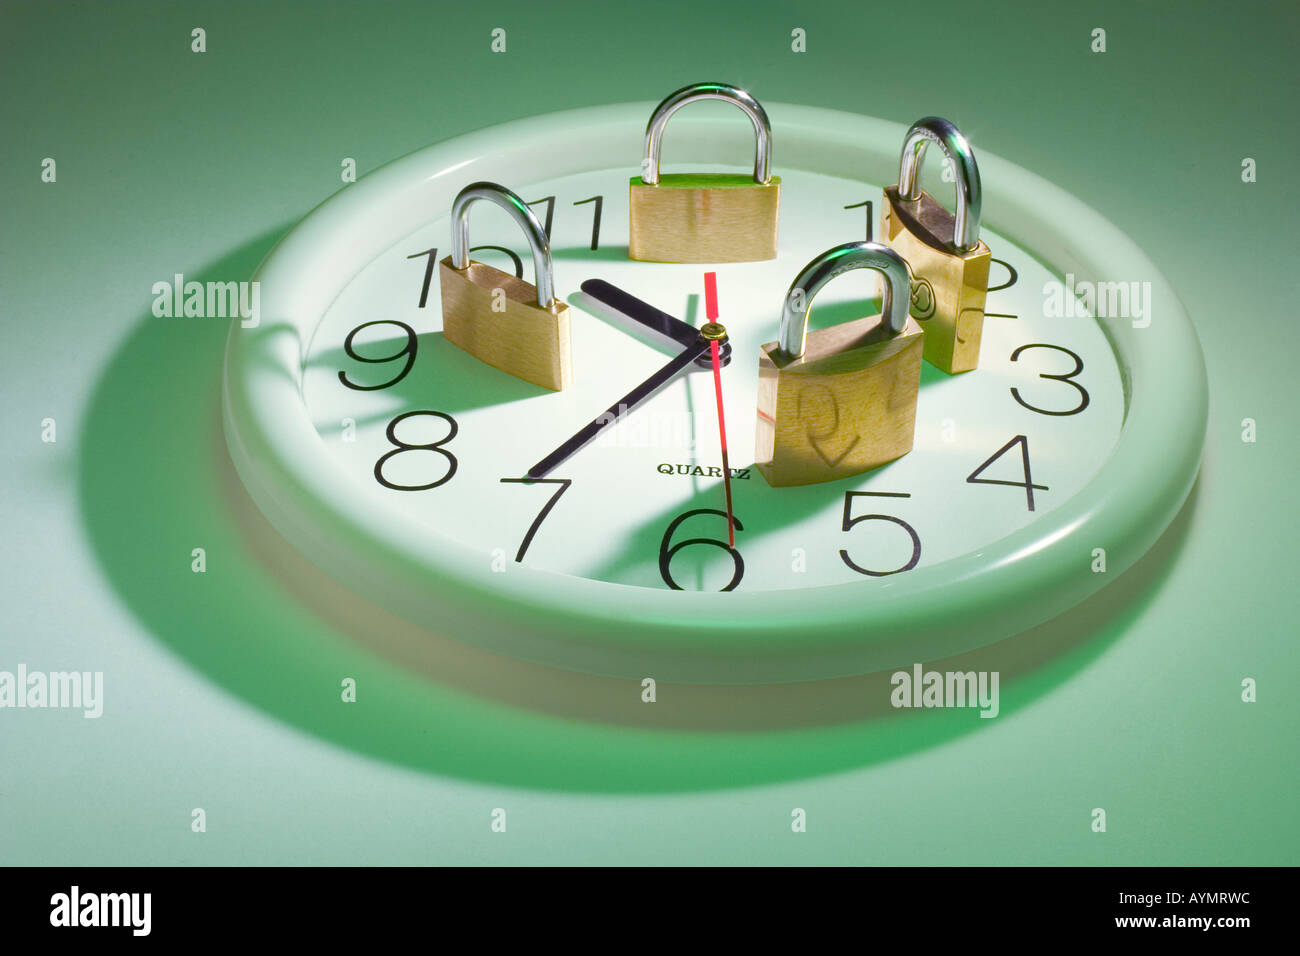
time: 10:36
